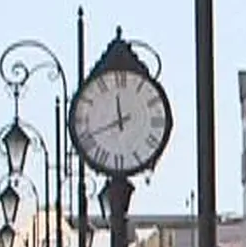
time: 11:40
